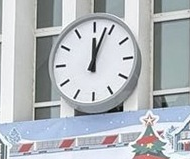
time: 12:03
